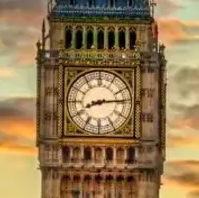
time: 8:14
